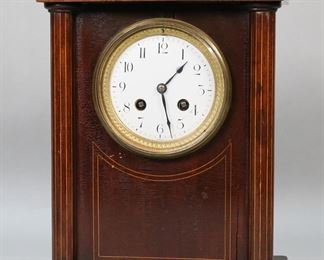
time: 1:26
